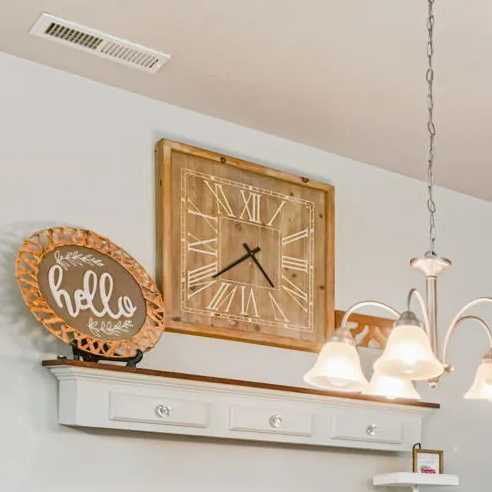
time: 4:38
